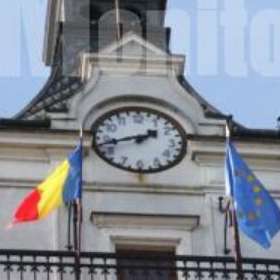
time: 1:42
